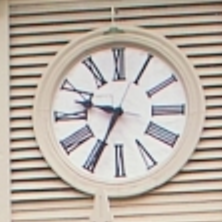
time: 9:34
